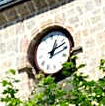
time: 1:12
